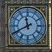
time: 11:40
